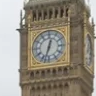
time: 12:32
